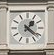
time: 1:21
